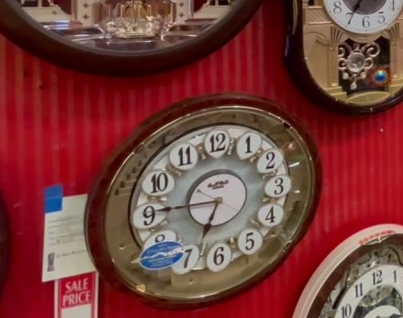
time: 6:45
